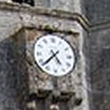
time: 4:37
